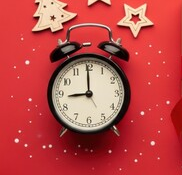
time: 8:59
